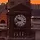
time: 9:42
